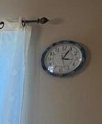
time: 3:04
